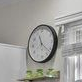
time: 11:21
